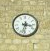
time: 3:32
